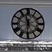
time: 11:31
